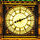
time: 8:11
